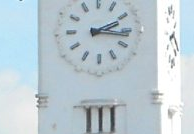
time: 2:16
